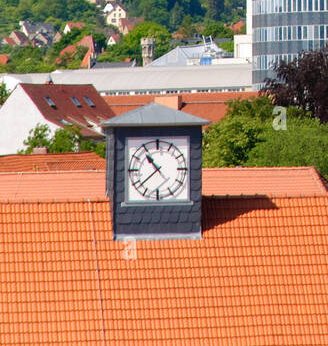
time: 10:38
